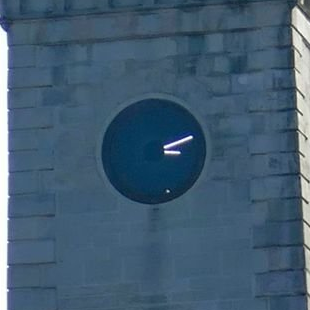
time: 3:11
